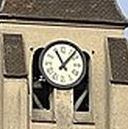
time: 11:07
